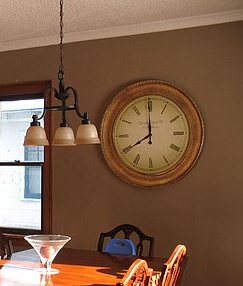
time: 7:59
